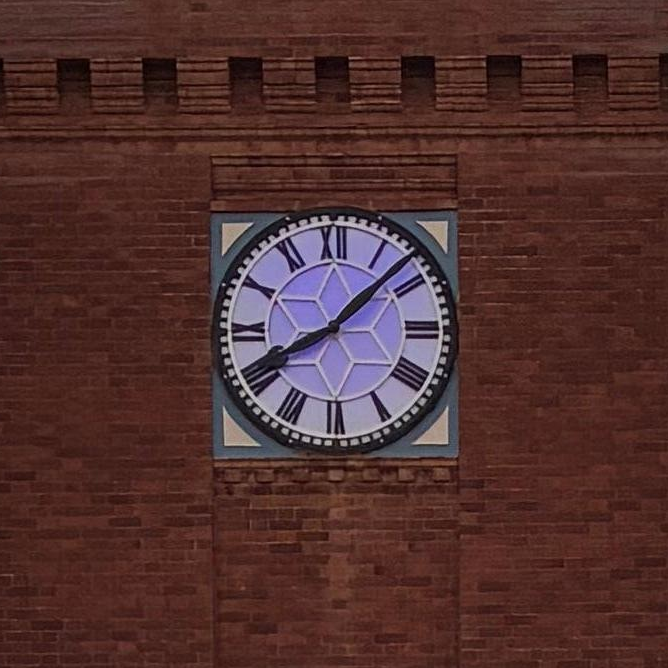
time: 8:07
